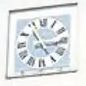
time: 2:54
